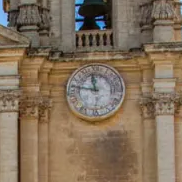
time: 11:46
